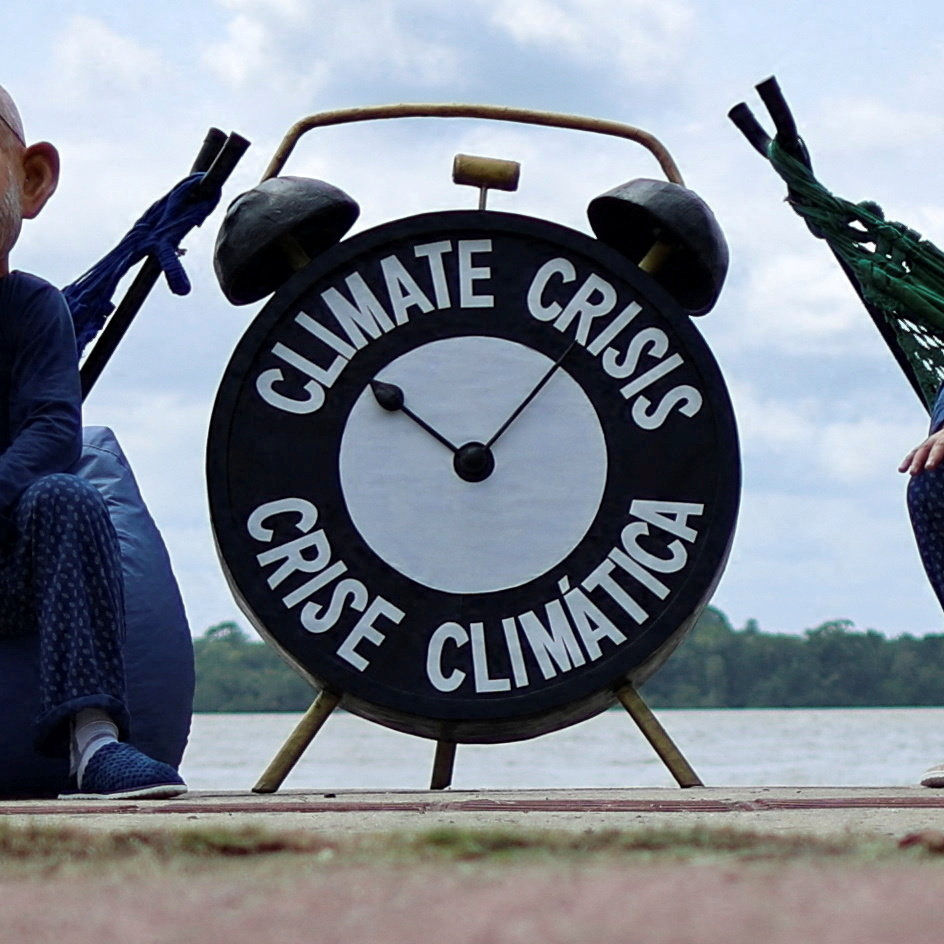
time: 10:07
